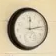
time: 12:13
